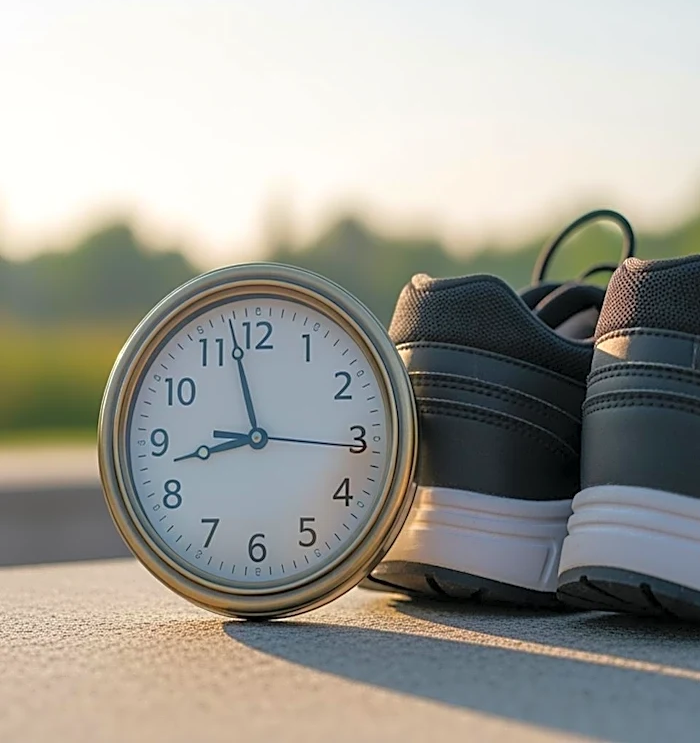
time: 8:57
